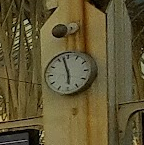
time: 5:57
